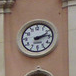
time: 2:13
